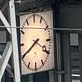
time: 3:40
